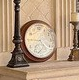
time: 4:45
